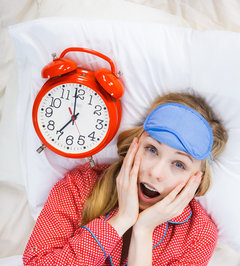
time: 6:59
